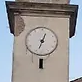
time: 12:33
